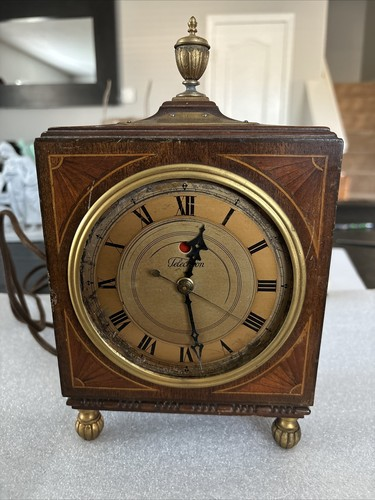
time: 12:28
